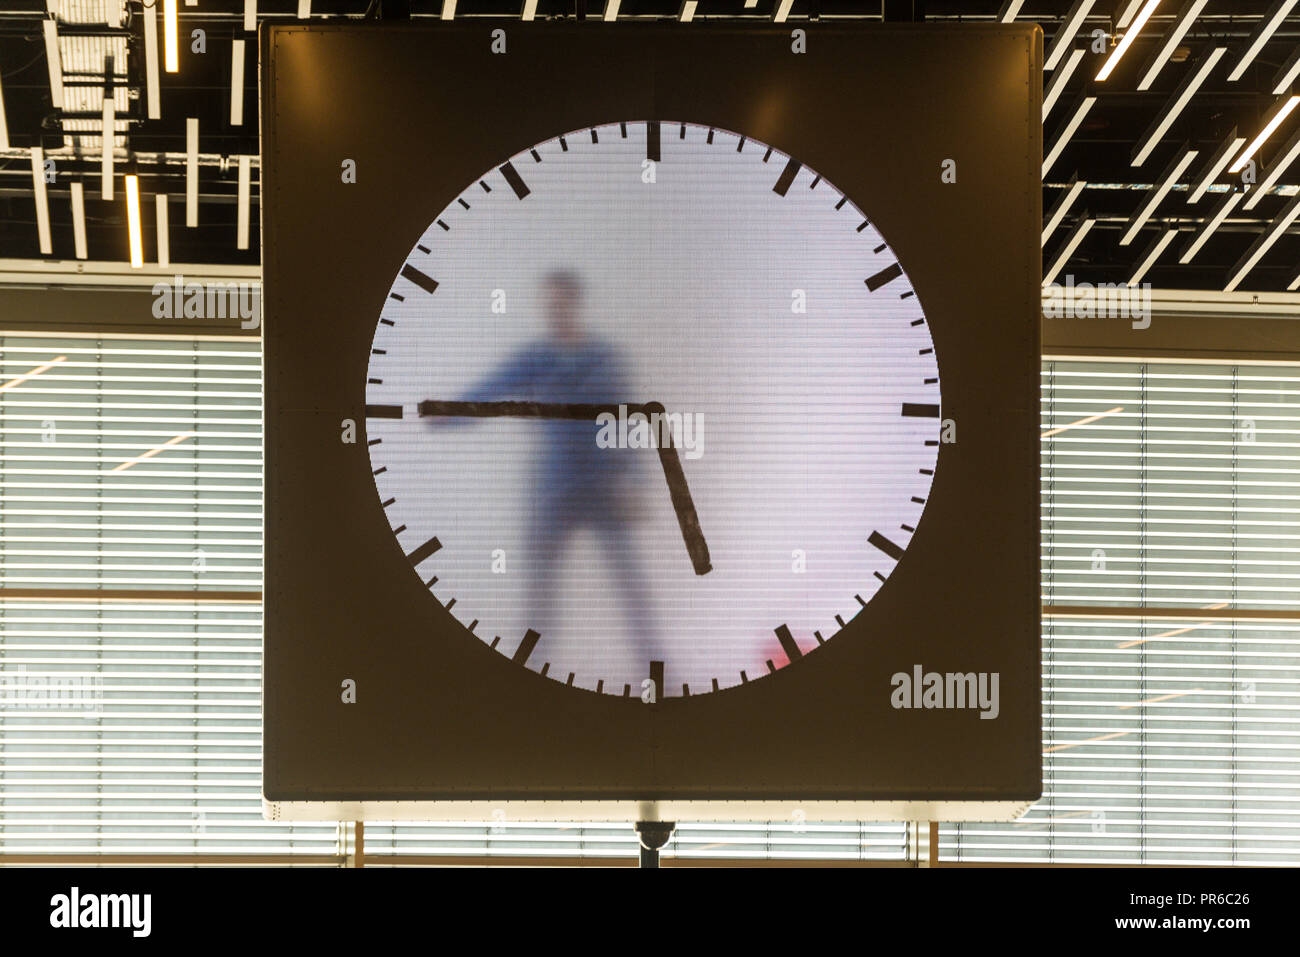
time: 5:45
